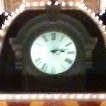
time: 2:59
